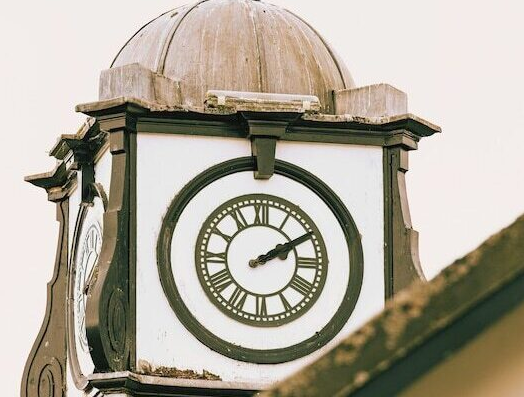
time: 2:09
